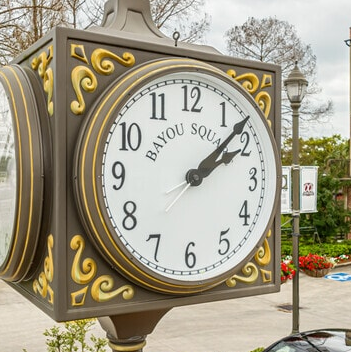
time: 2:07
